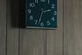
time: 2:33
